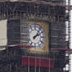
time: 2:06
